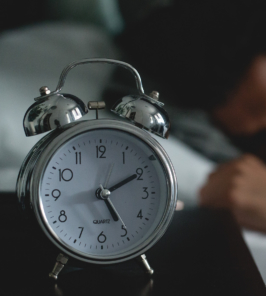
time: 5:10
